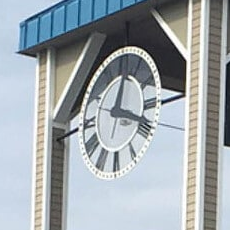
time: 12:18
